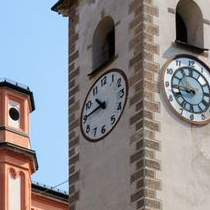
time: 10:45
